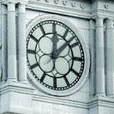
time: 12:07
